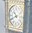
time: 10:41
